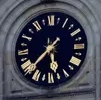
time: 5:37
